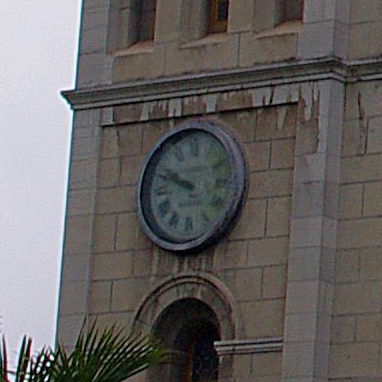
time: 9:48
